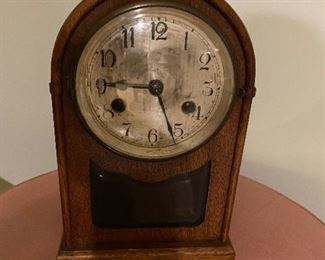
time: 9:26
